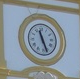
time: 11:26
